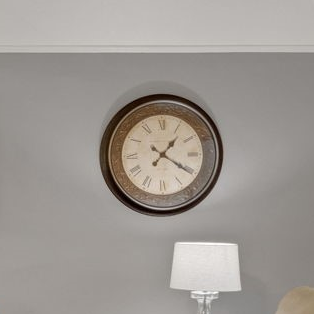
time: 1:20
